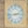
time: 2:43
